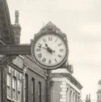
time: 10:47
